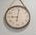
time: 9:01
